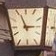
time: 2:56
